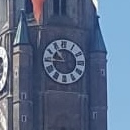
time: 10:44
